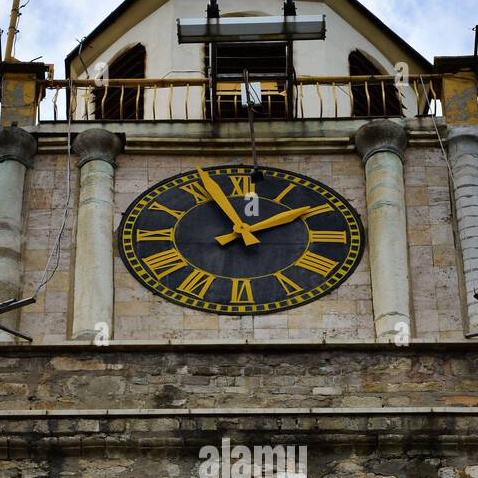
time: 1:56
